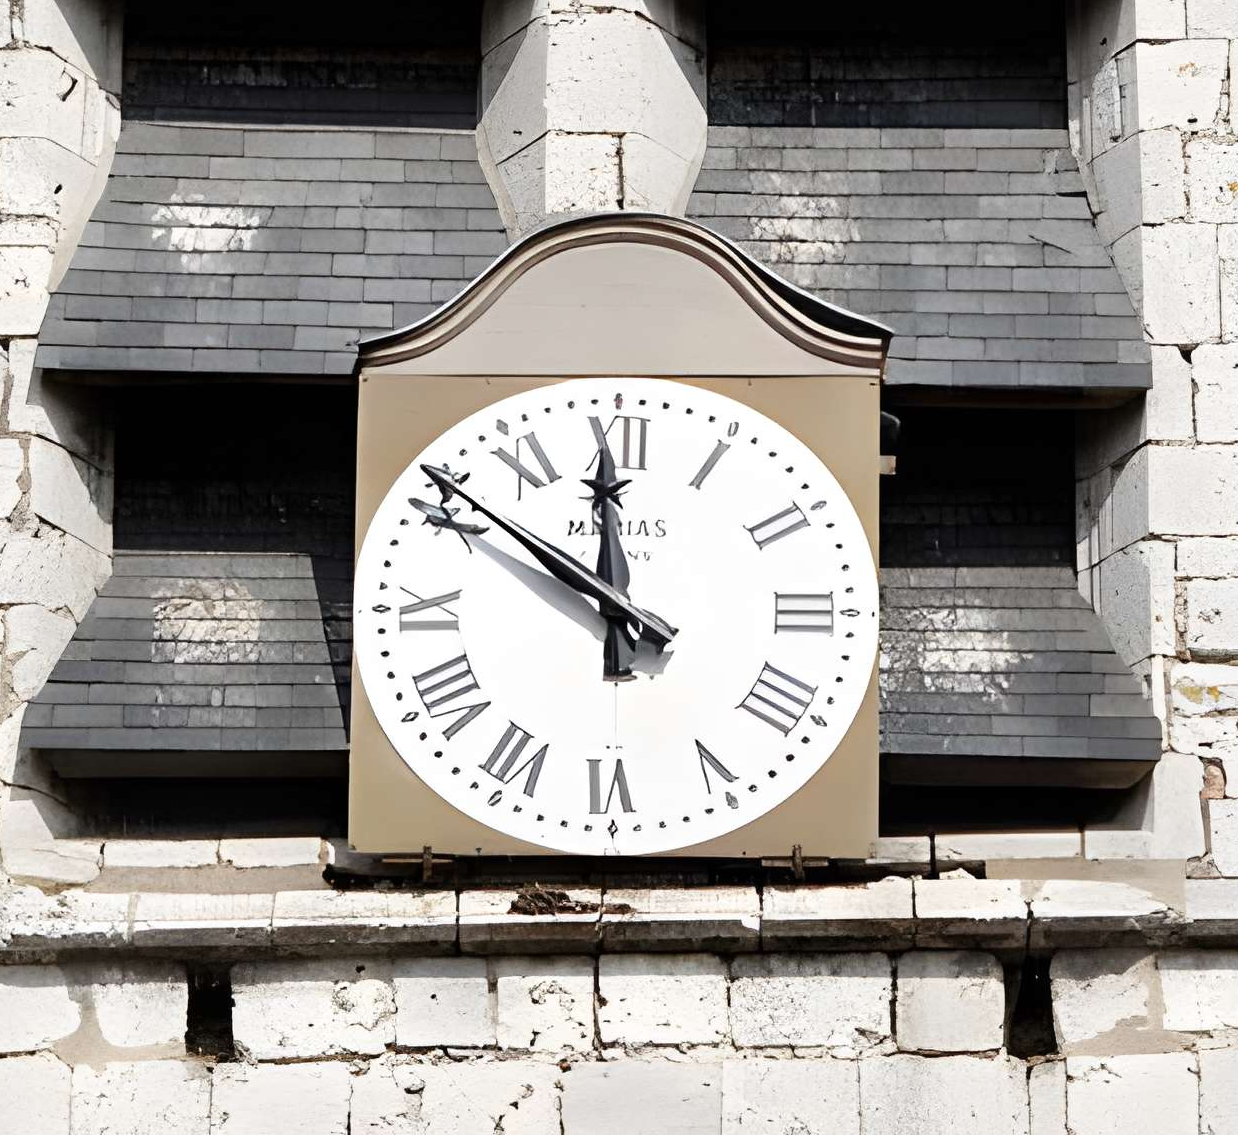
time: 11:50
